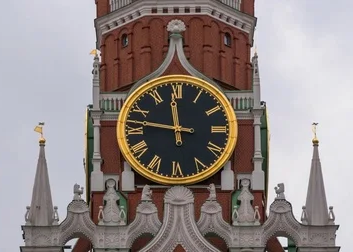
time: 11:46
